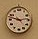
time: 2:47
